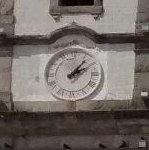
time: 2:06
